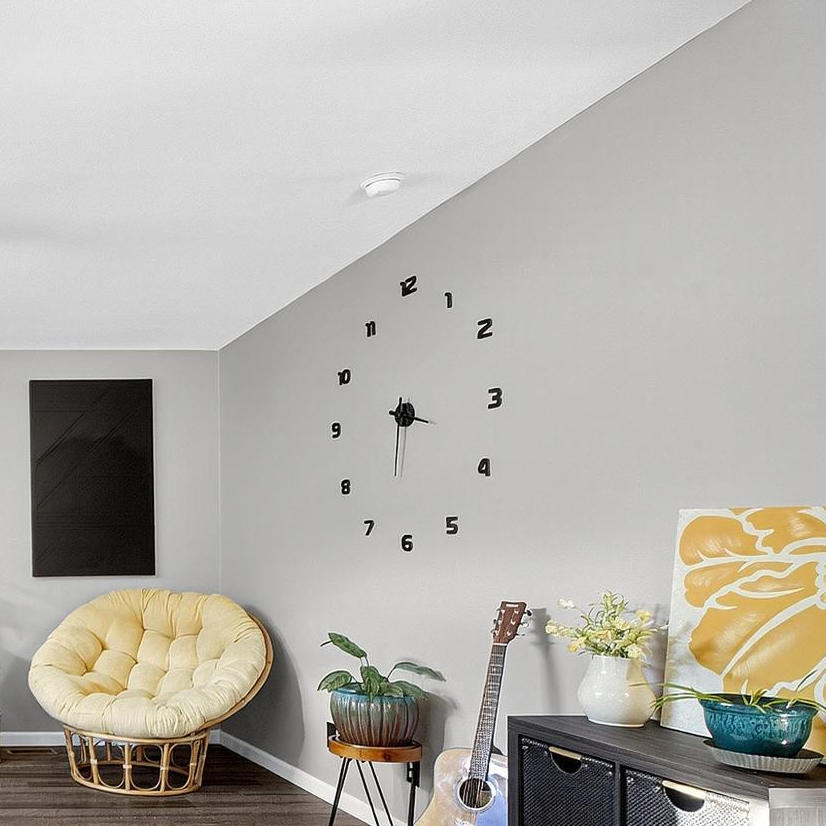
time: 3:32
